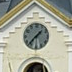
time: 1:36
